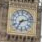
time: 7:12
